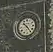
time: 10:23
